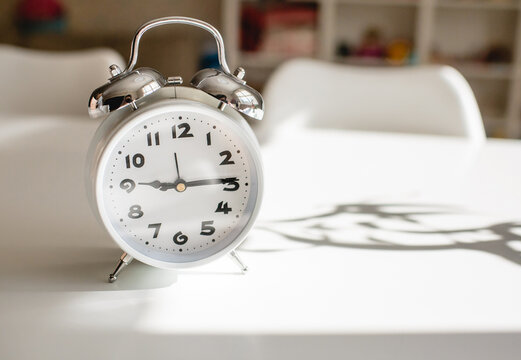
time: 9:14
